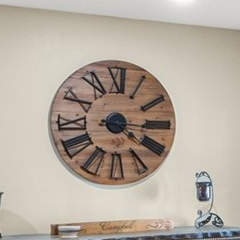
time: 4:15
